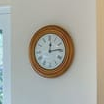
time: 12:13
